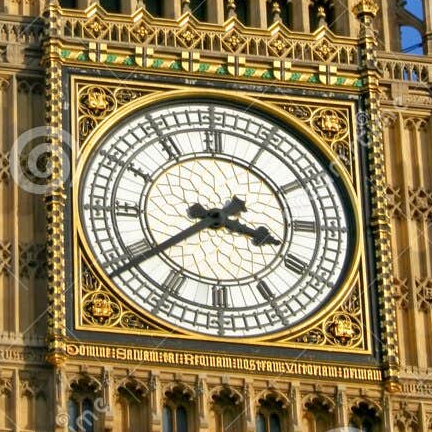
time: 3:39
